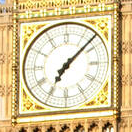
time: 7:07
